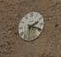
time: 2:18
